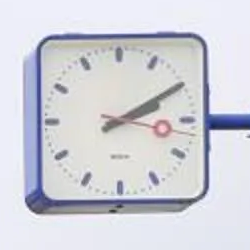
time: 2:09
